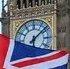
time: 6:08
